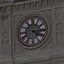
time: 4:14
